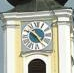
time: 4:50
